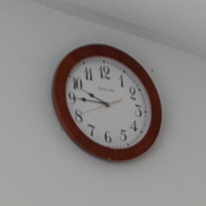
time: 9:45
